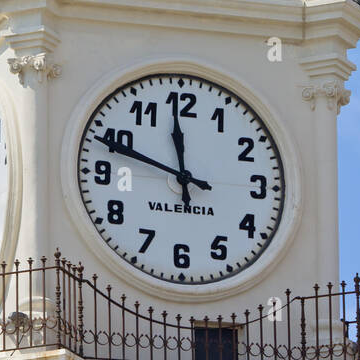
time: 11:48
